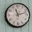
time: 11:12
